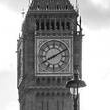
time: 8:10
